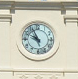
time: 9:55
